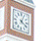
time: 4:03
